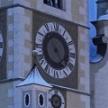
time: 7:23
